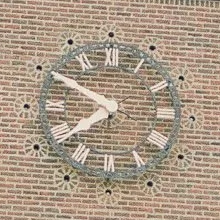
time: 7:50
